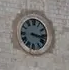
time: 3:17
